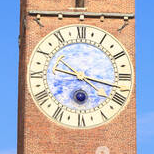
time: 9:17
